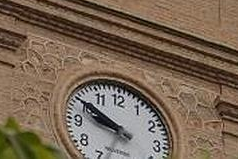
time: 9:50
